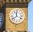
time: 11:38
